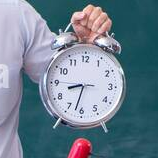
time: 8:32
